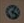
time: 4:04
